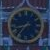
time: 8:36
